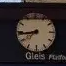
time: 7:43
